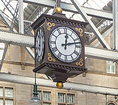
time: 12:12
